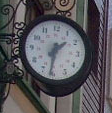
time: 1:31
